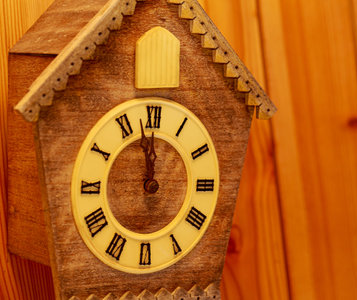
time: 11:58
